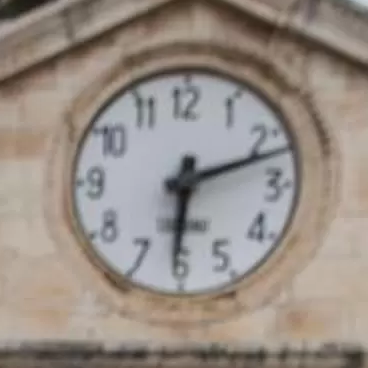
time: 6:11
